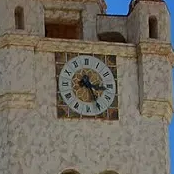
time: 3:25
